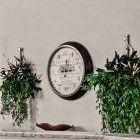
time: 9:01
